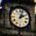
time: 2:03
